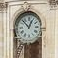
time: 12:52
